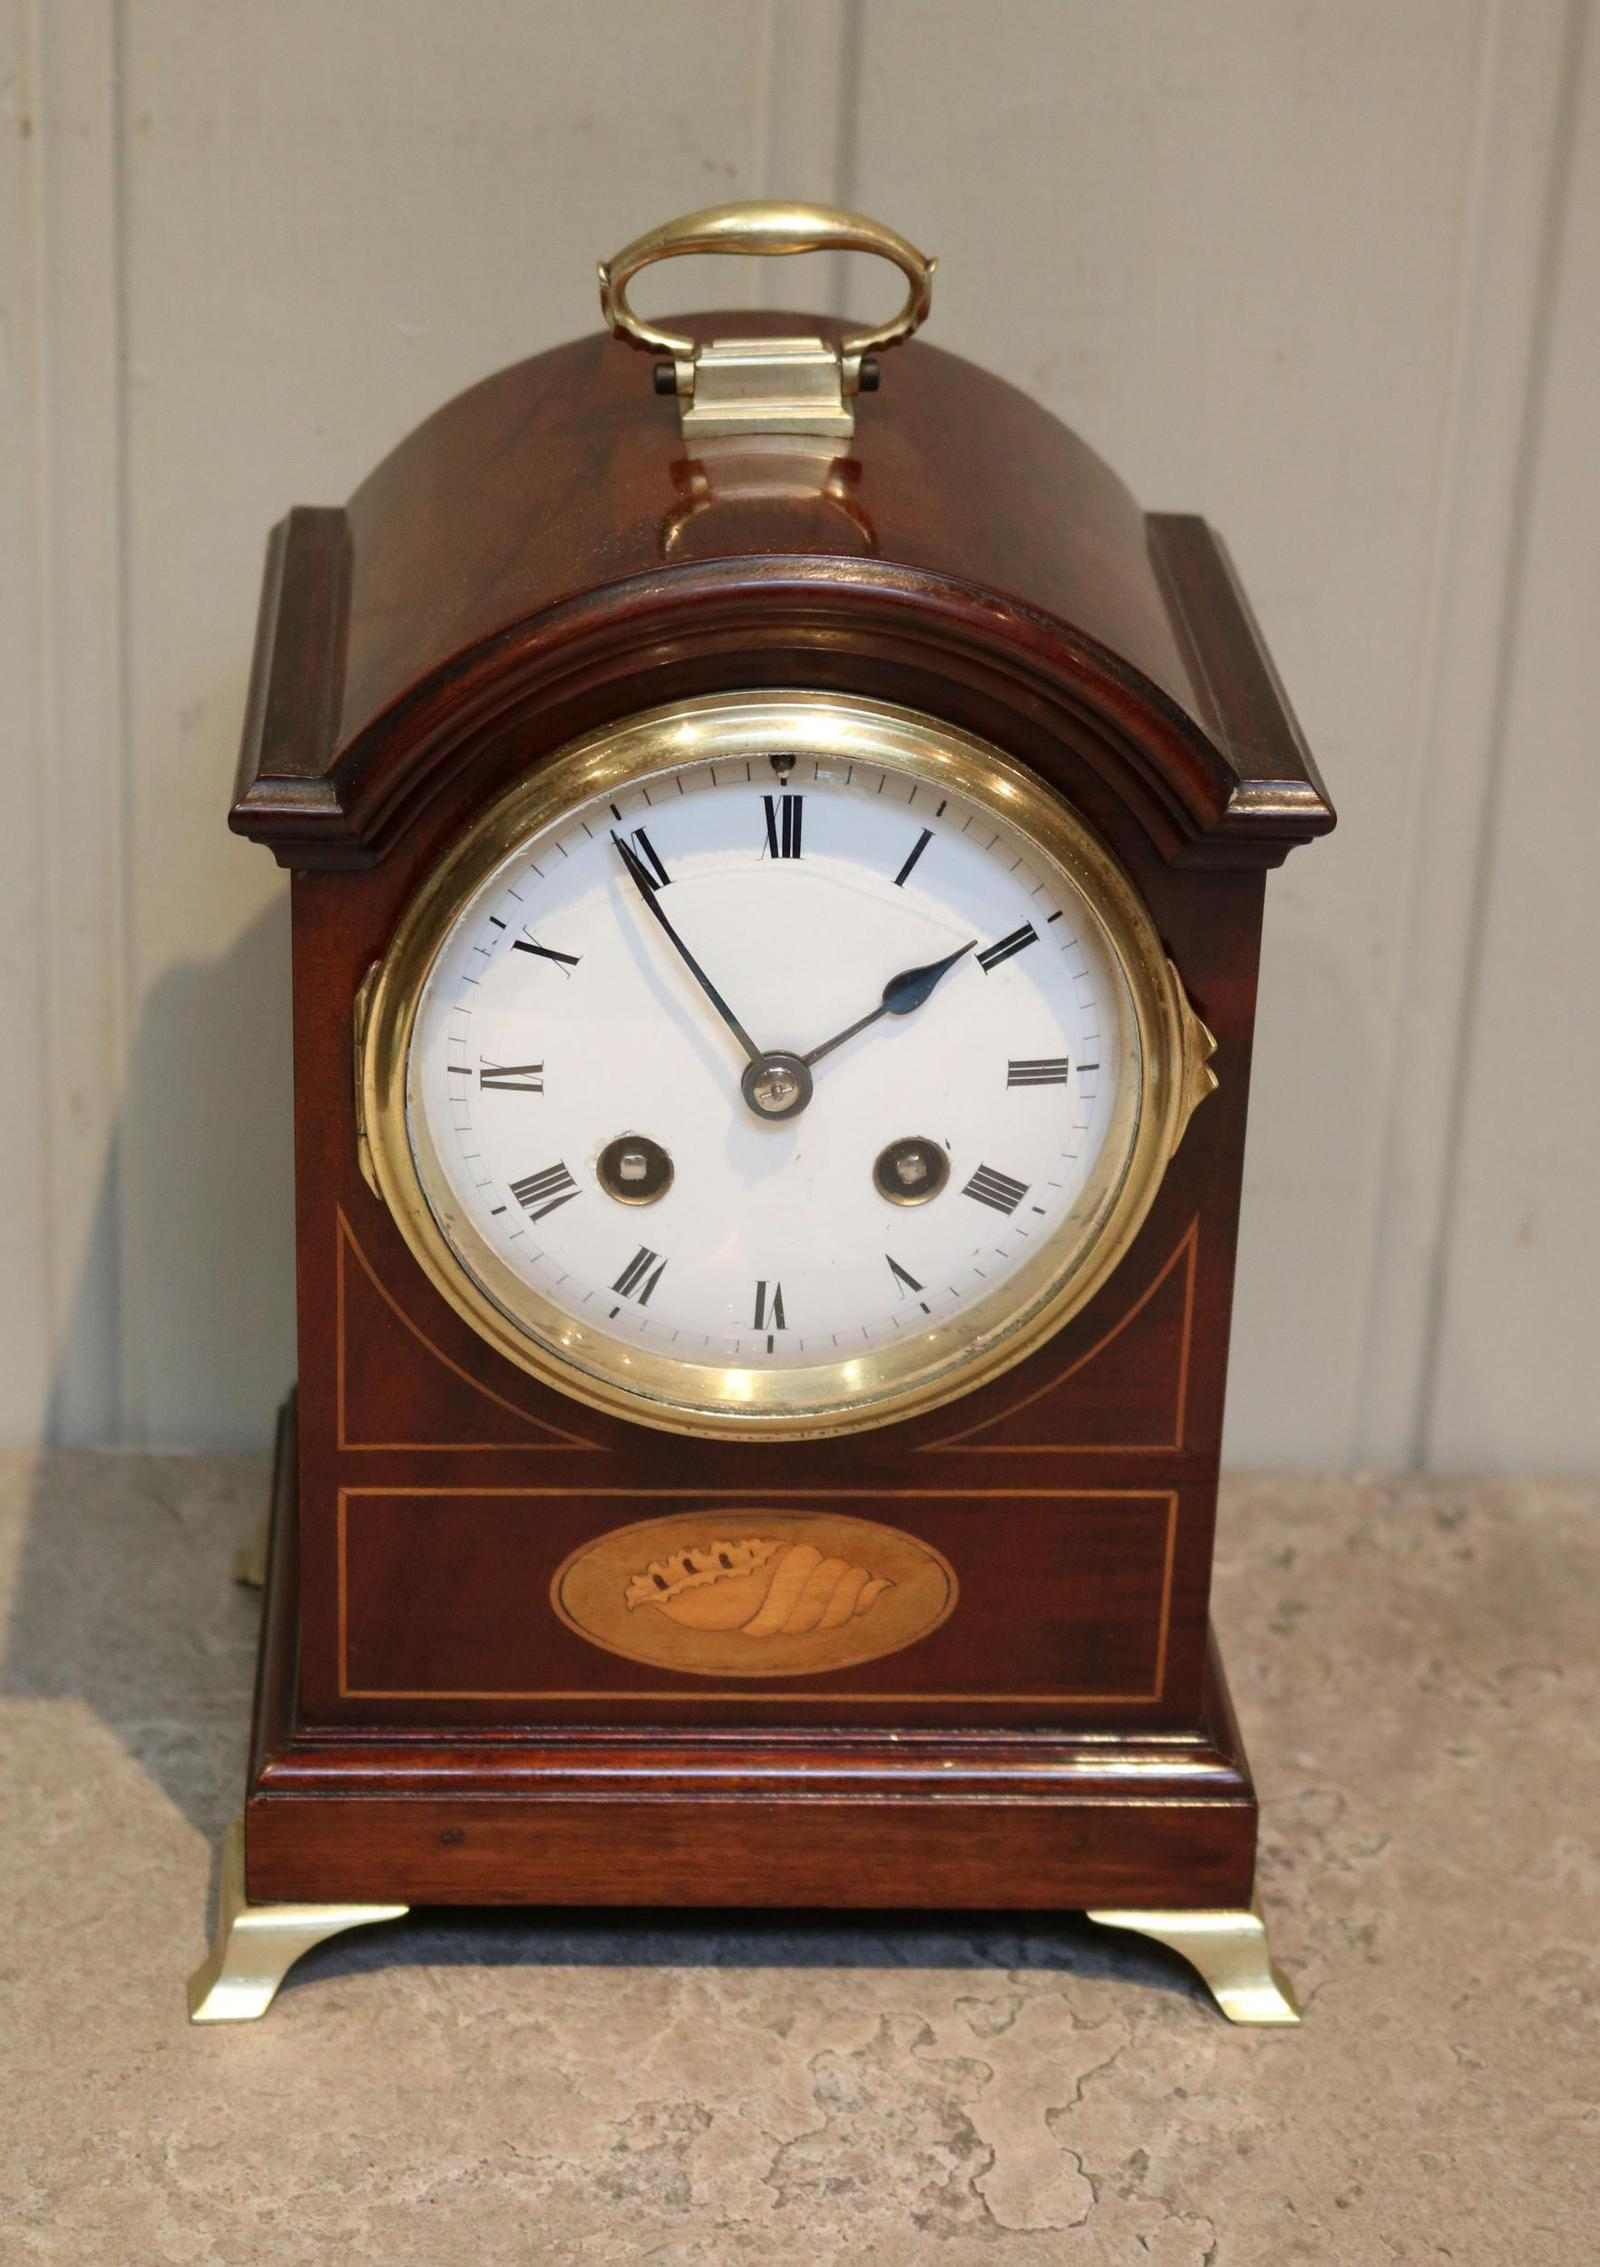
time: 1:54
